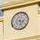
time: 3:27
